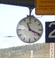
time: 11:19
